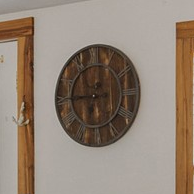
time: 9:01
